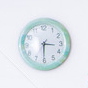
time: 3:30
